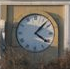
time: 4:07
